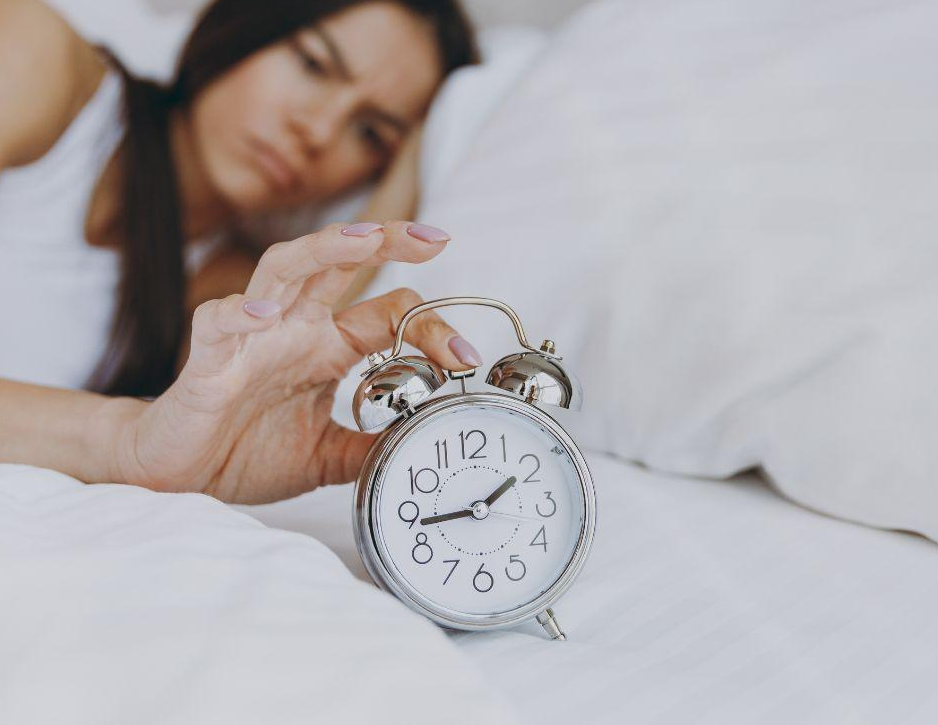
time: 1:43
